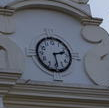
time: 2:28
